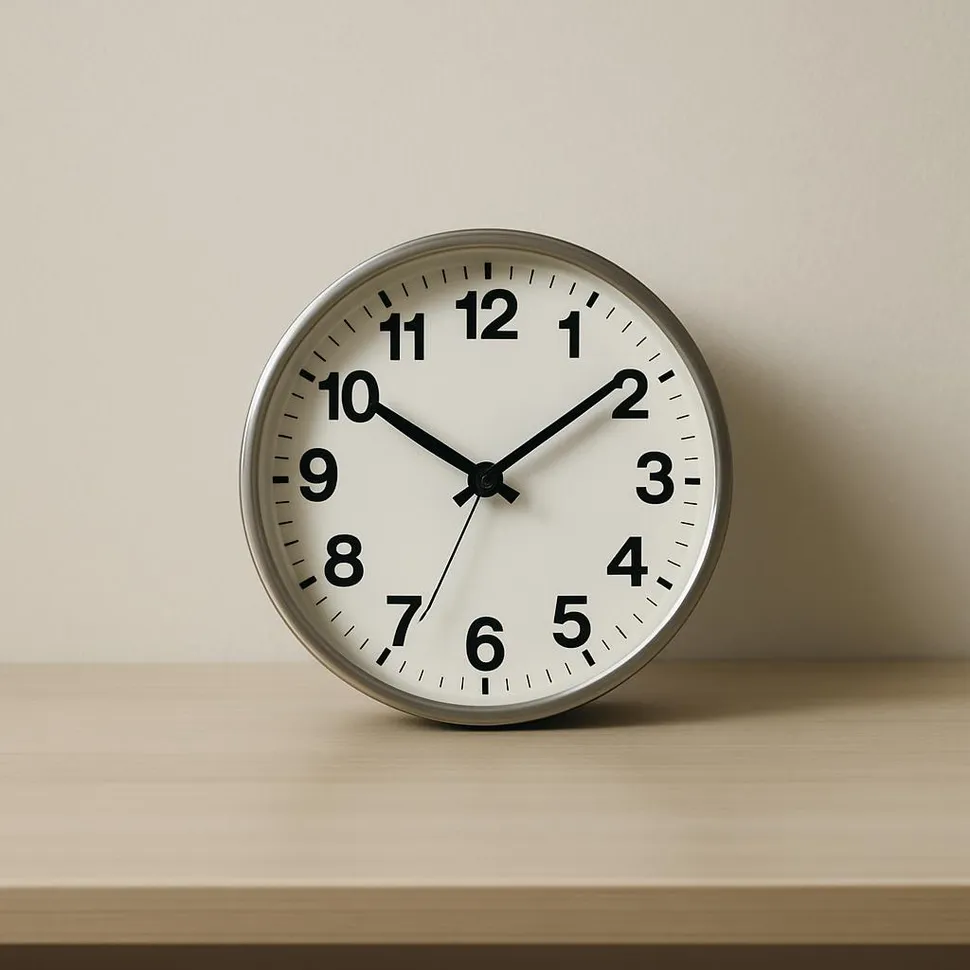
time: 10:09
